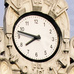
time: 7:47
